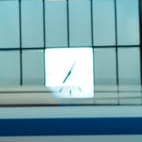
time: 7:04
